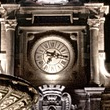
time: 7:15
